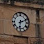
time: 6:11
